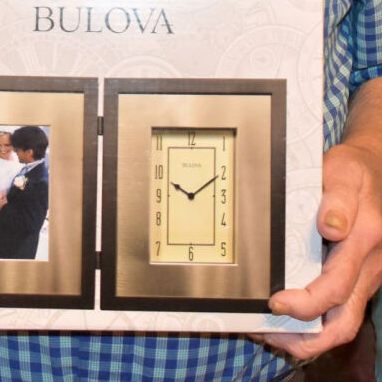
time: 9:10
